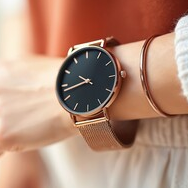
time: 9:42
